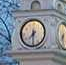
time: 7:30
